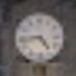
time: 4:43
